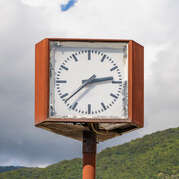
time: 2:37
